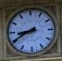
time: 8:40
